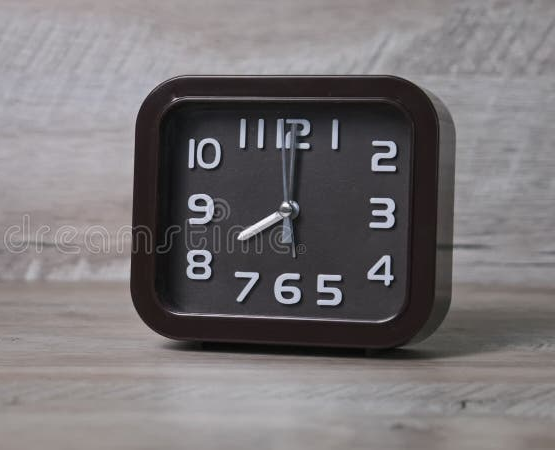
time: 8:00
